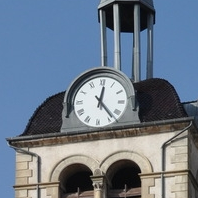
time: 12:23
